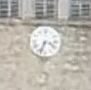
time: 3:33
